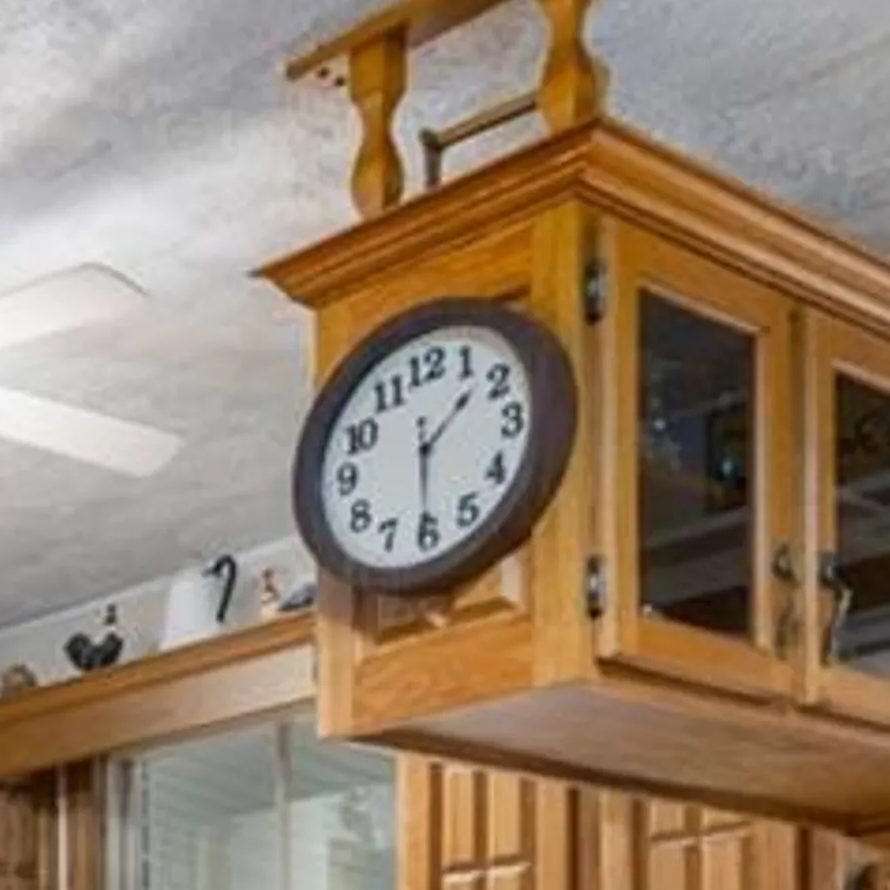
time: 1:30
